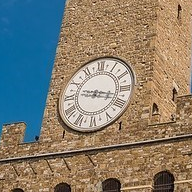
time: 9:17
